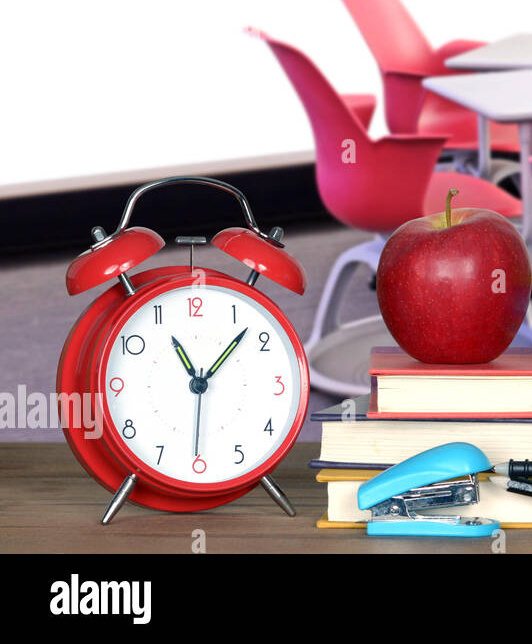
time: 11:07
